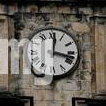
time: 12:17
